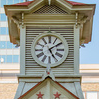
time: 5:09
